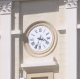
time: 3:33
